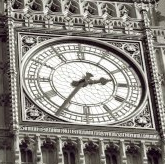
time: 2:35
